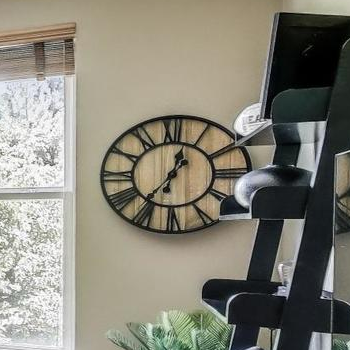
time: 12:36
